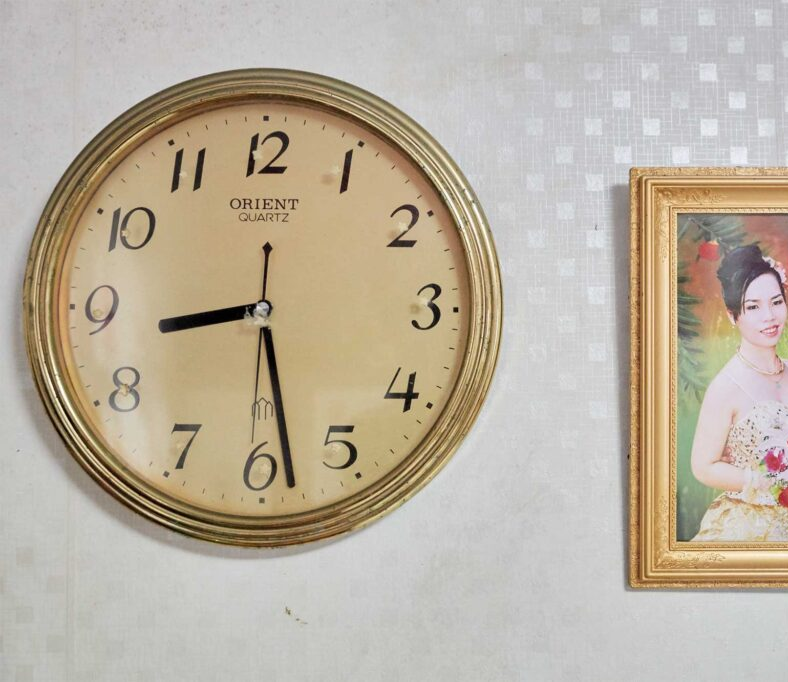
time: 8:28
